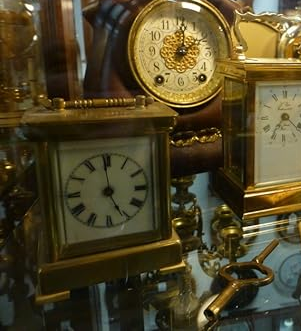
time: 4:59
